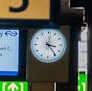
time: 3:24
